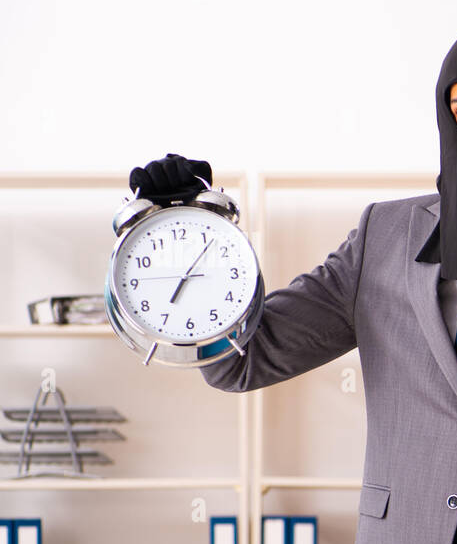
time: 7:06
